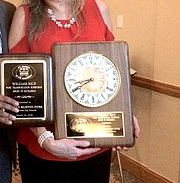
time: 8:39
